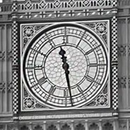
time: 11:28
